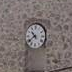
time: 10:38
